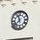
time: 11:37
